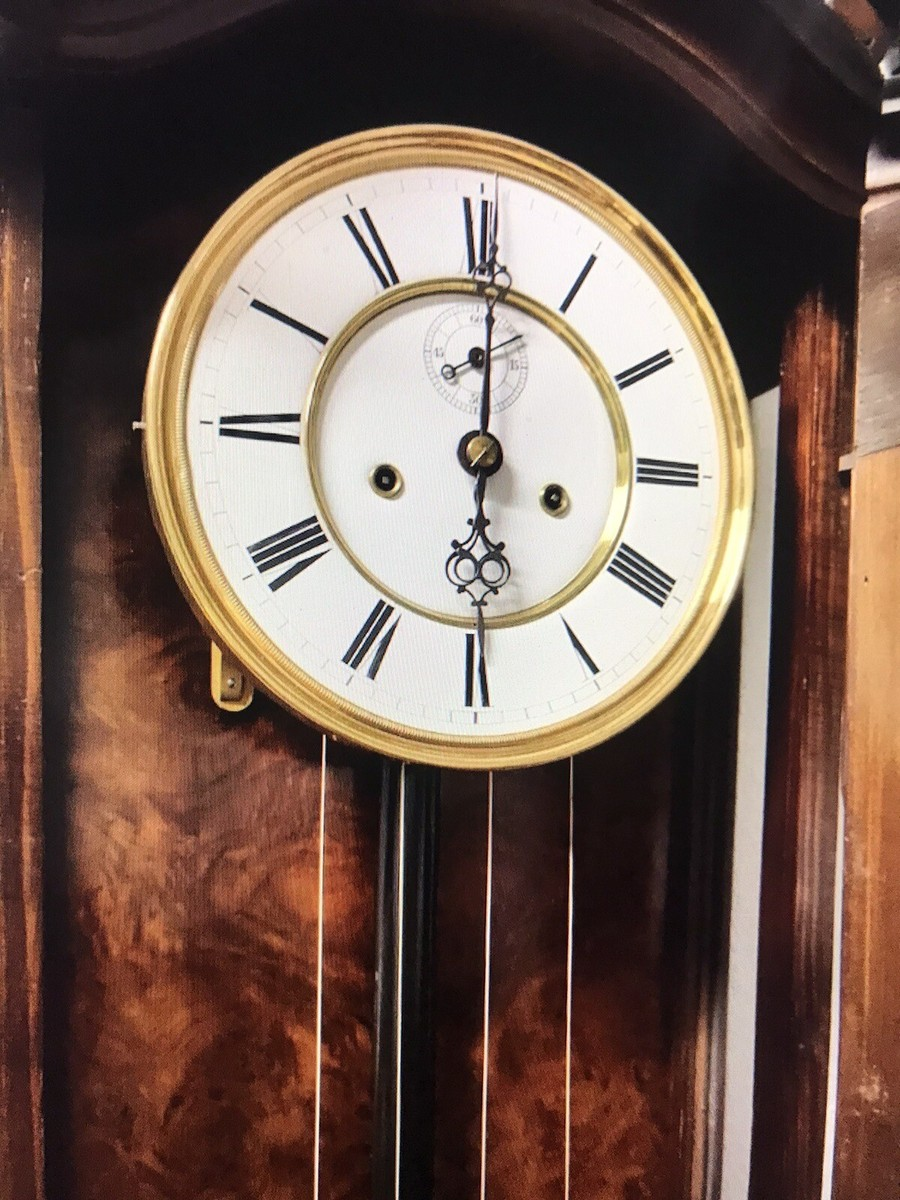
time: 6:00
